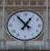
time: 12:53
